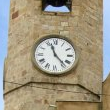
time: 11:23
